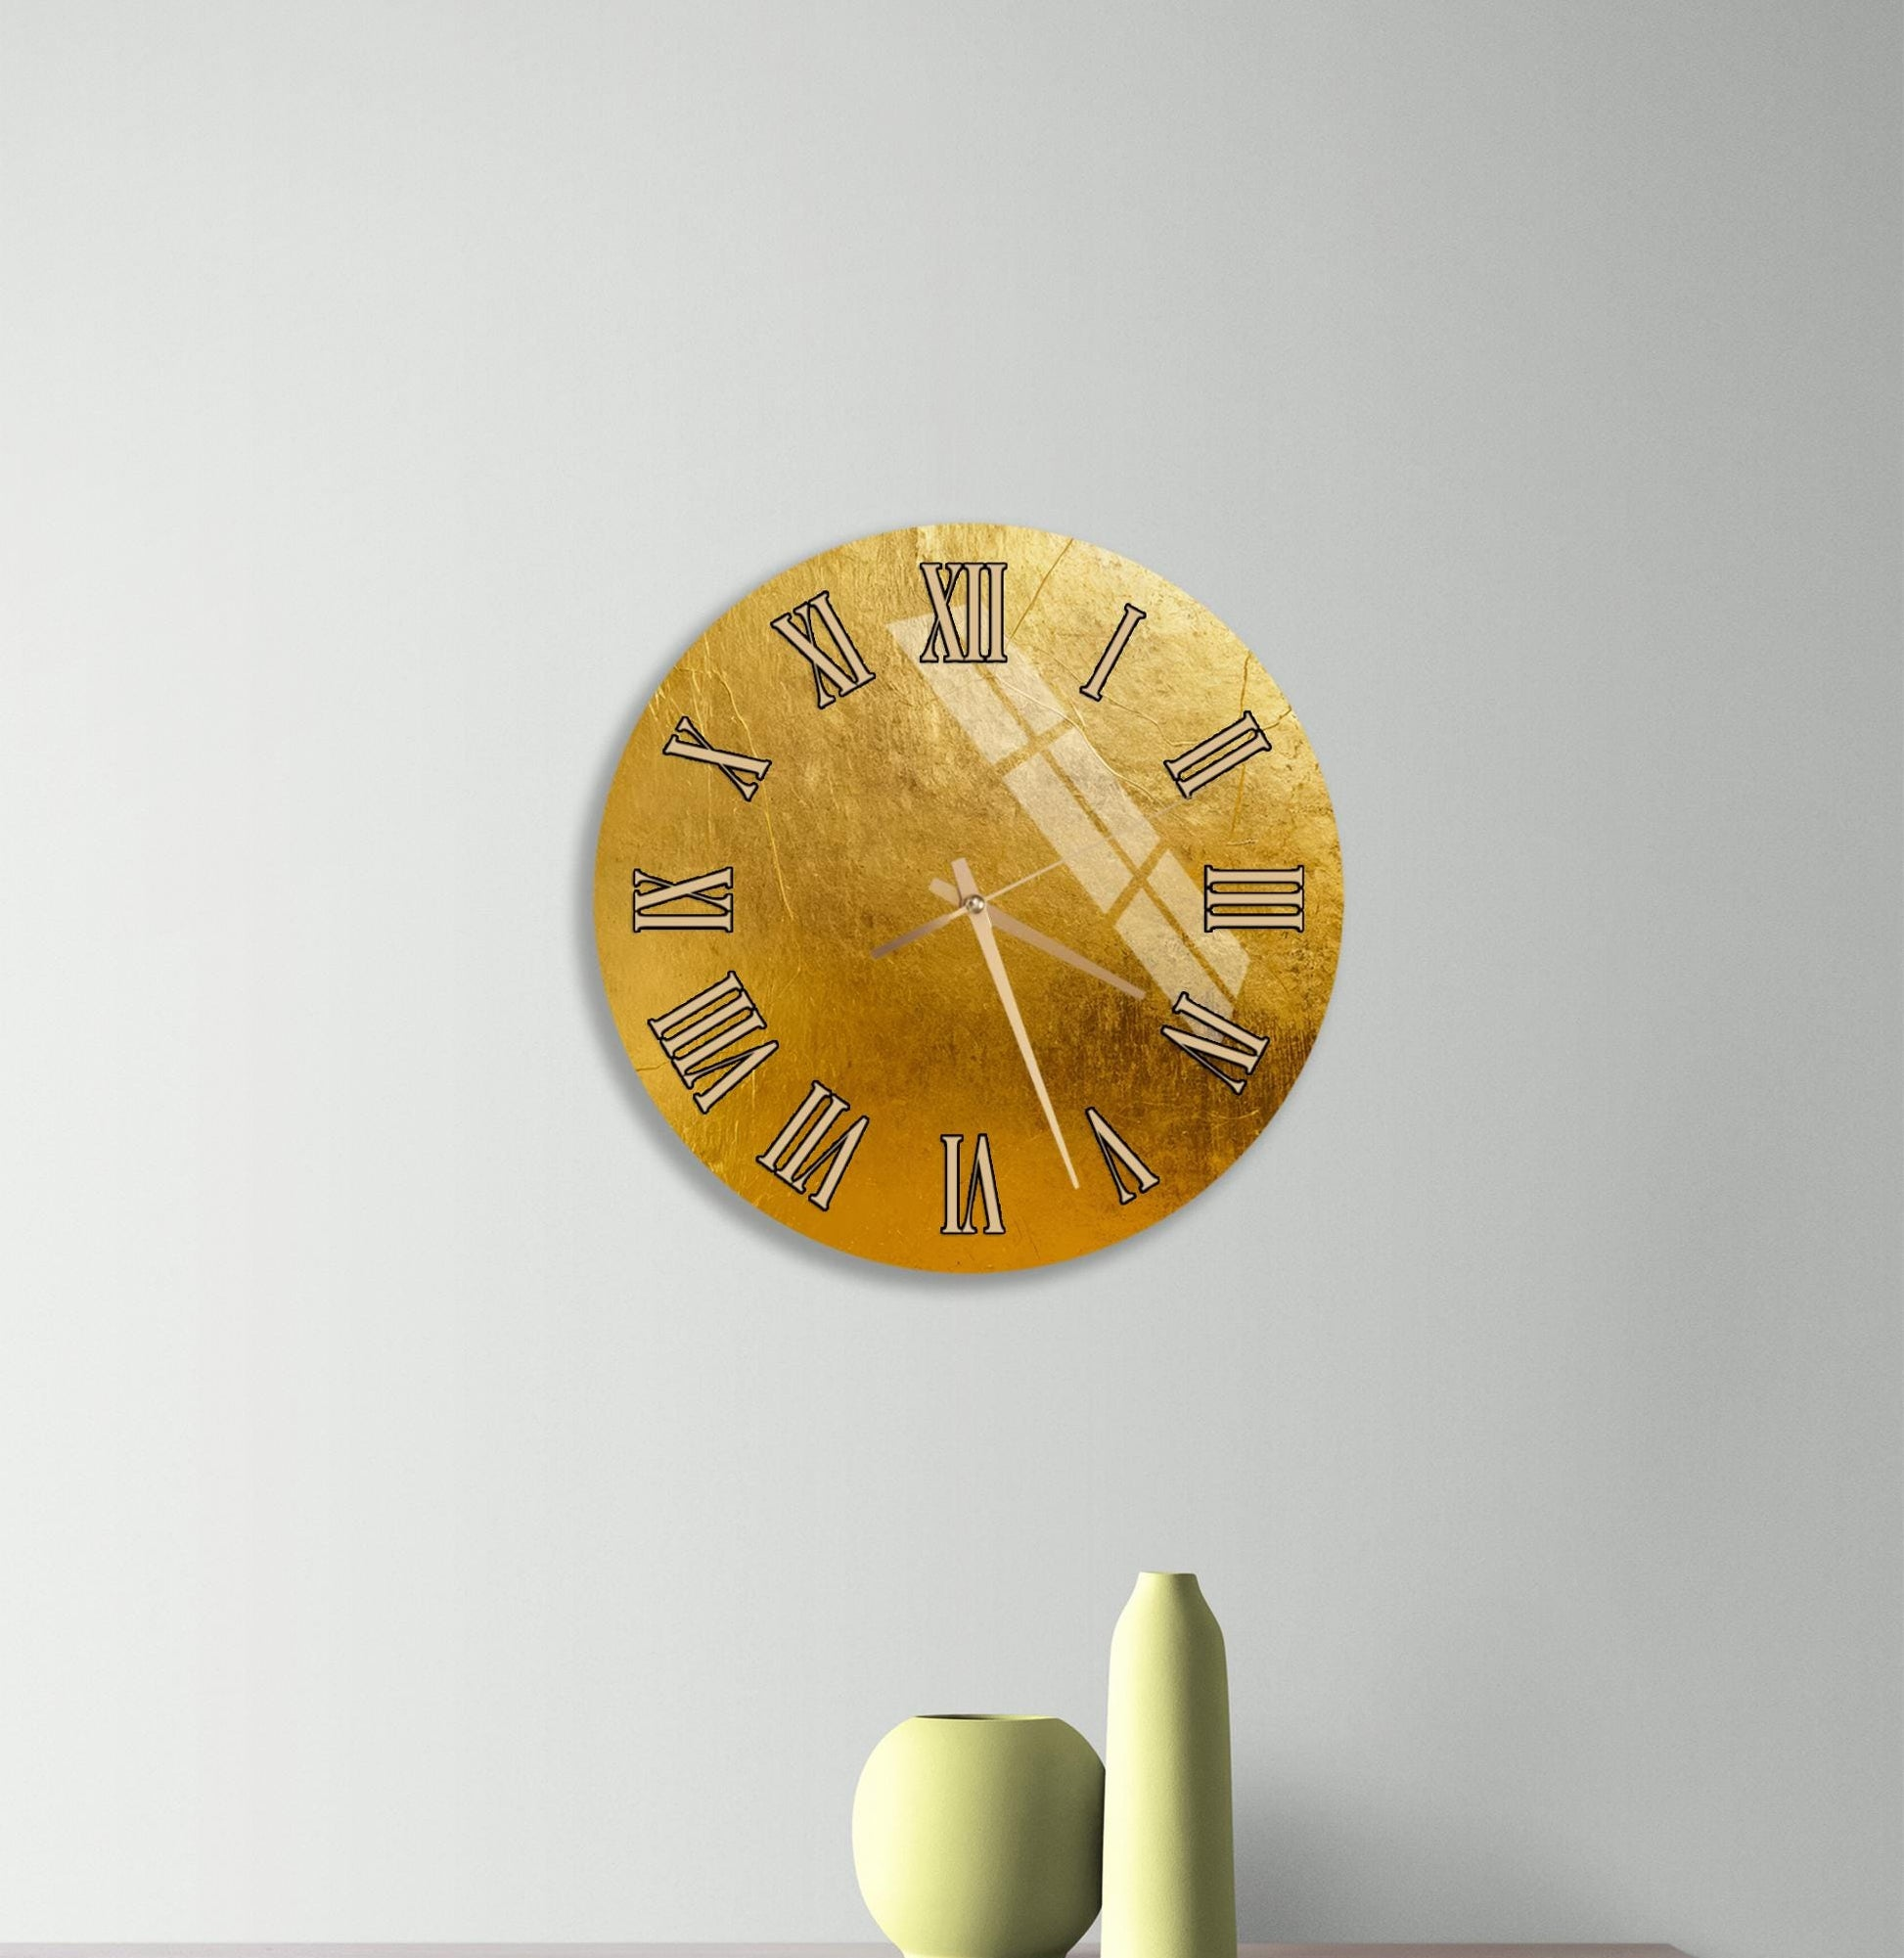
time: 5:19
